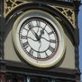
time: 12:53
